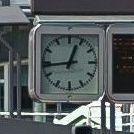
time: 12:43
